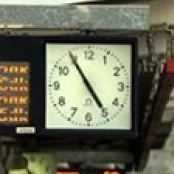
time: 4:54
